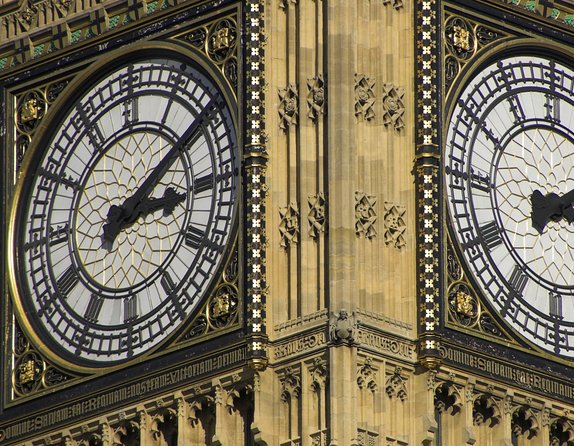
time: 3:09
